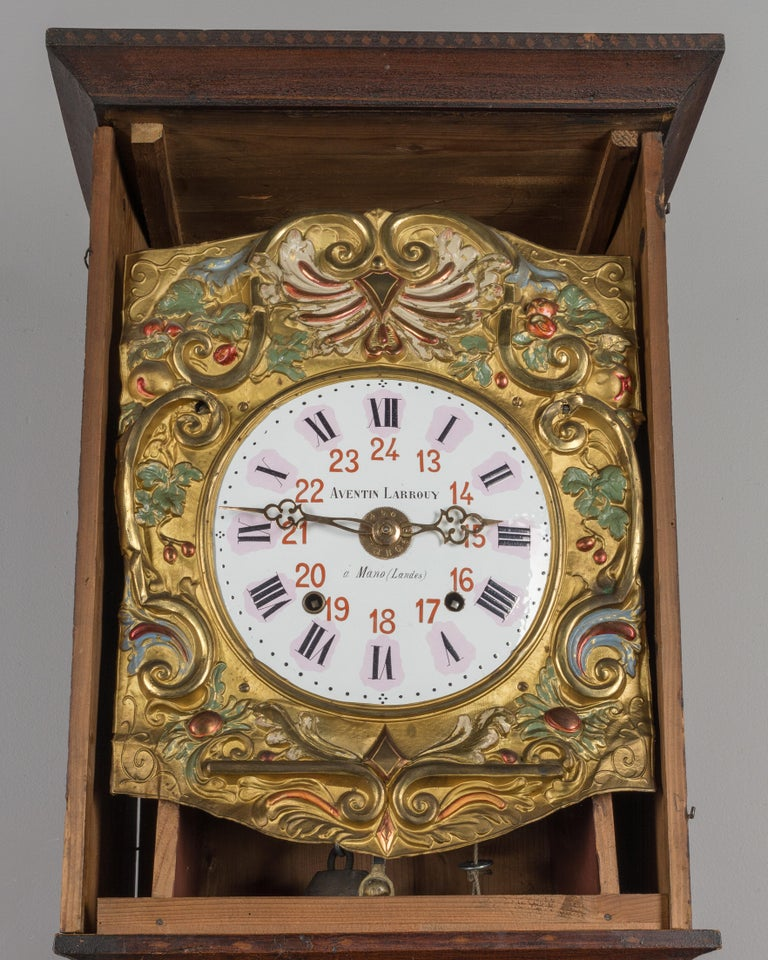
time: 2:46
